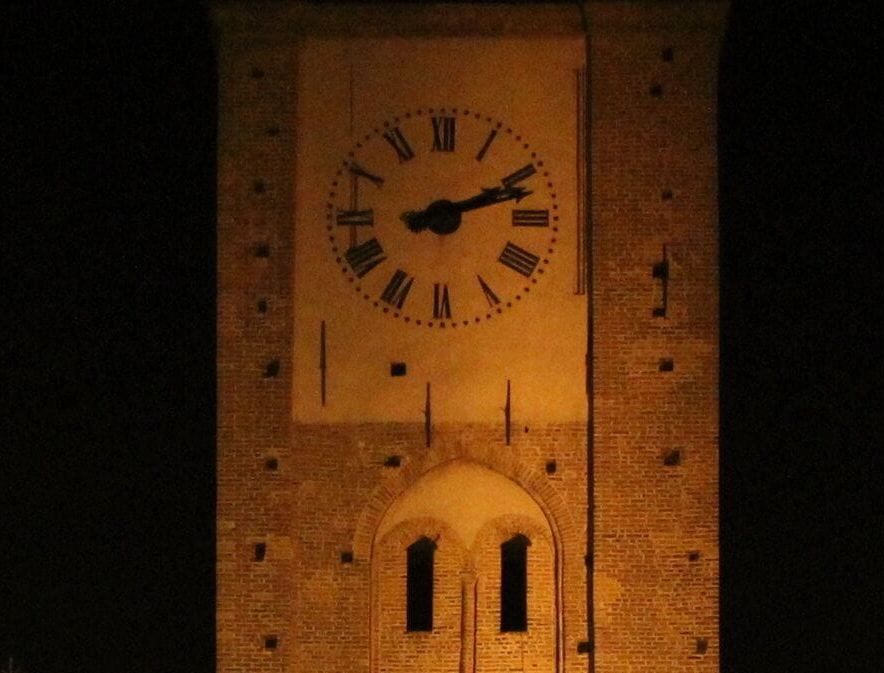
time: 2:12
